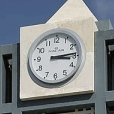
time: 3:13
